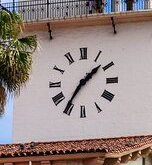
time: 1:35
